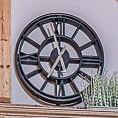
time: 6:58
